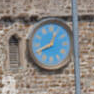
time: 12:41
